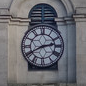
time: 2:40
